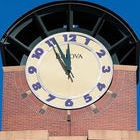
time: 11:55
